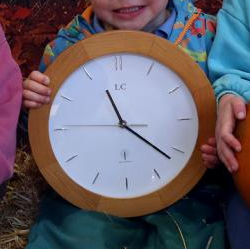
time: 11:21
